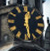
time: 12:28
